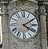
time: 4:09
